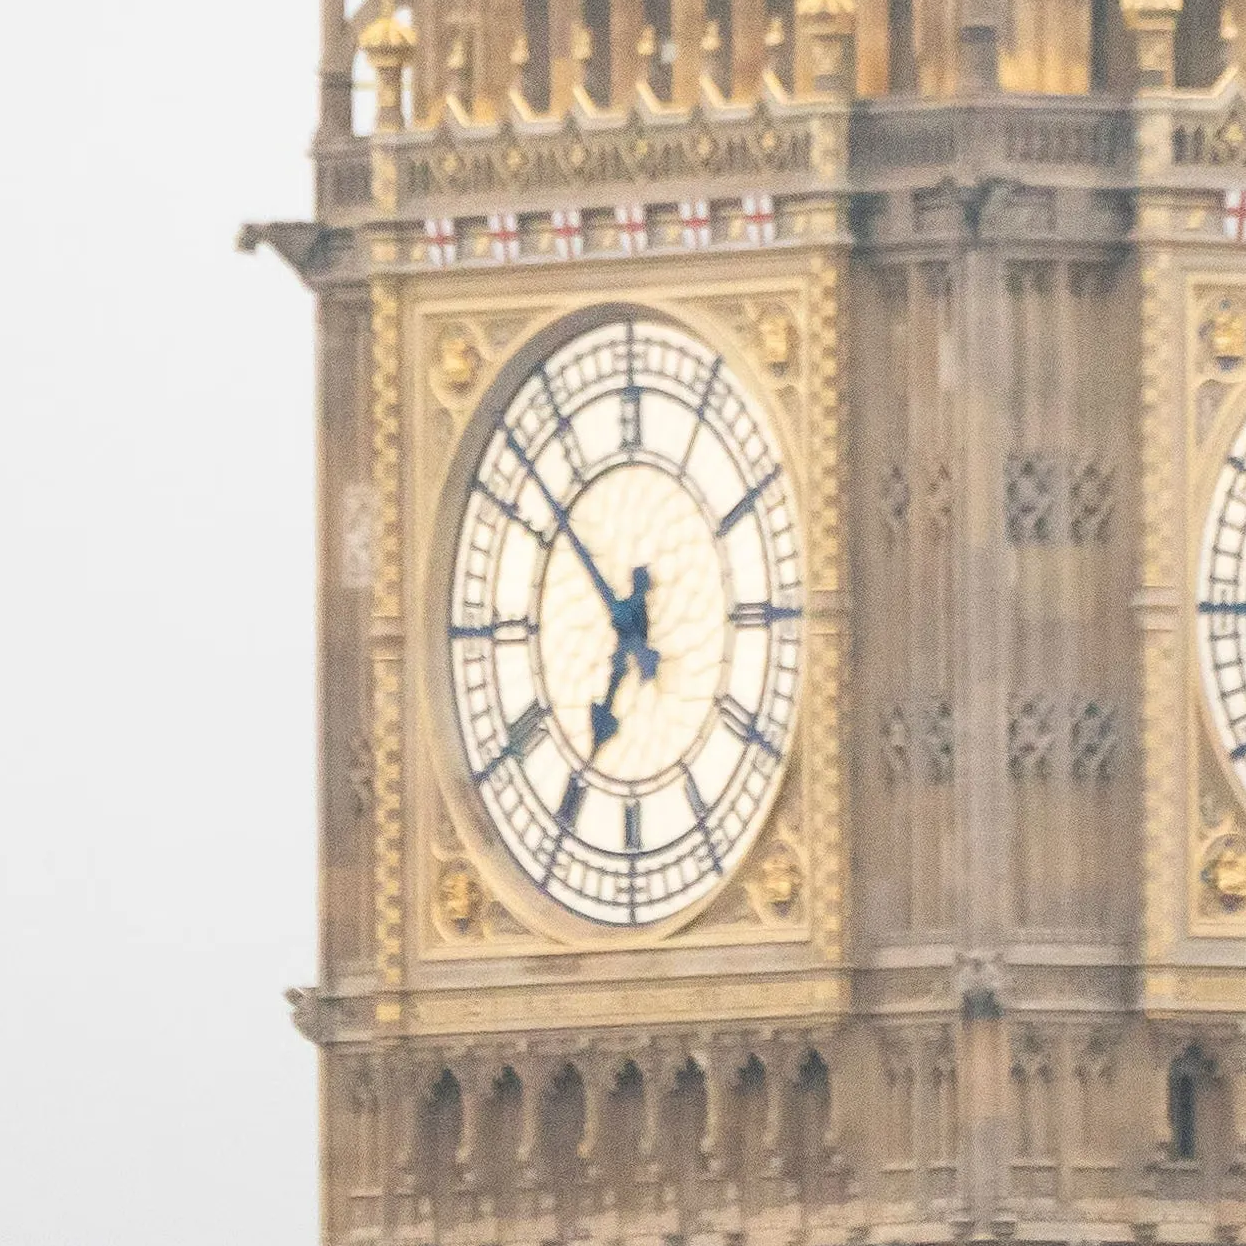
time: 6:52
